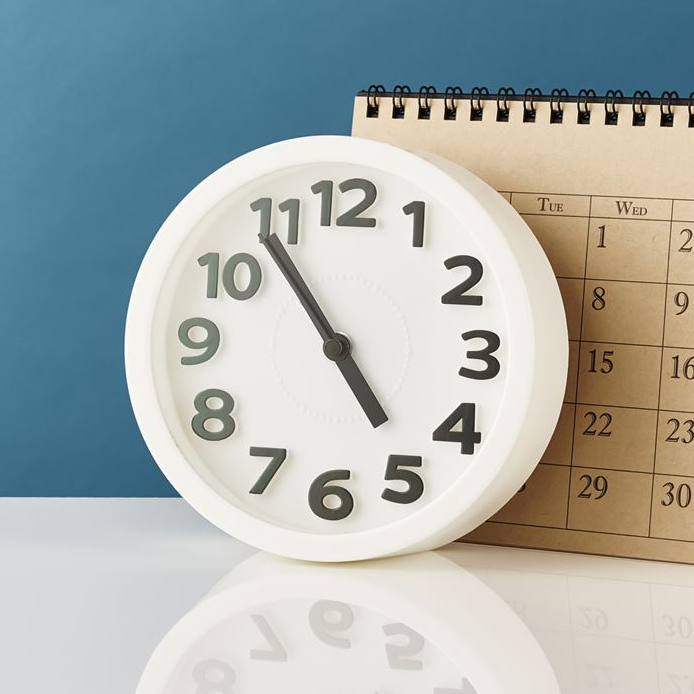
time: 4:54
